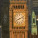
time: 8:11
